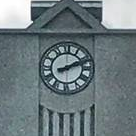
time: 2:11
